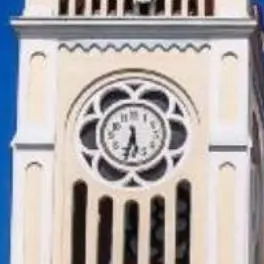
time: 5:33
